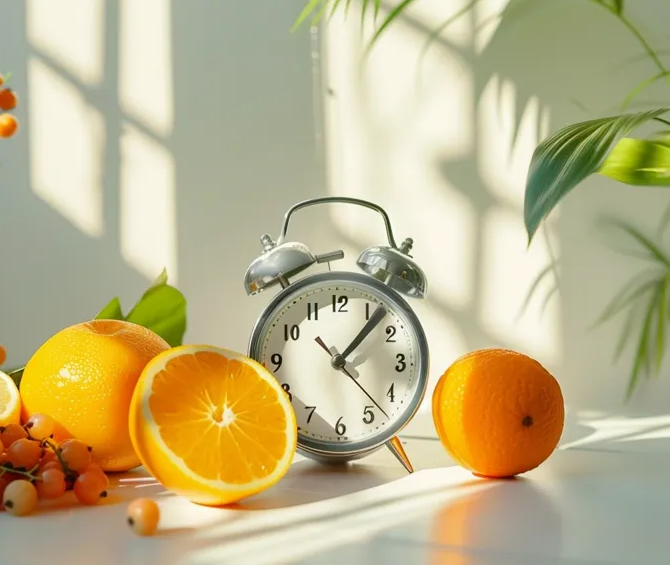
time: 1:07
